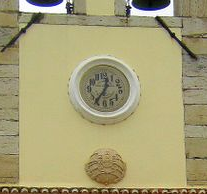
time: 12:36
